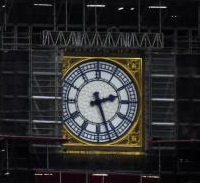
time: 2:26
